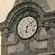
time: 6:08
